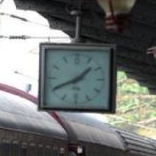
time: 1:40
